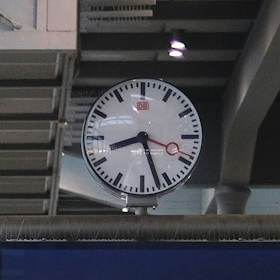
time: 8:26
